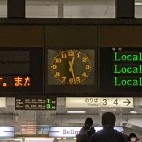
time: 12:27
